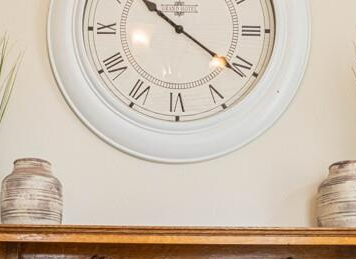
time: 10:21
